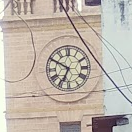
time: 6:49
